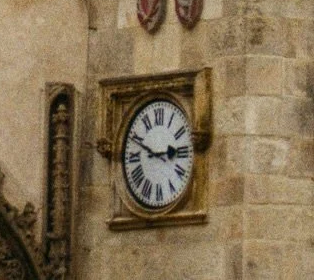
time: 2:49
